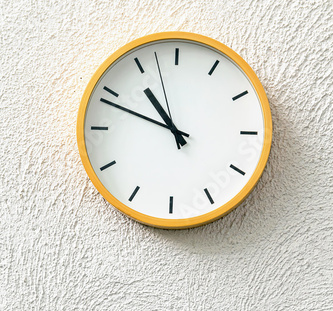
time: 10:48
